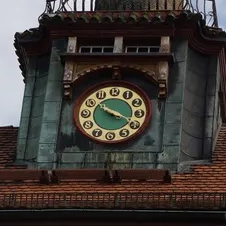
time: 3:51
